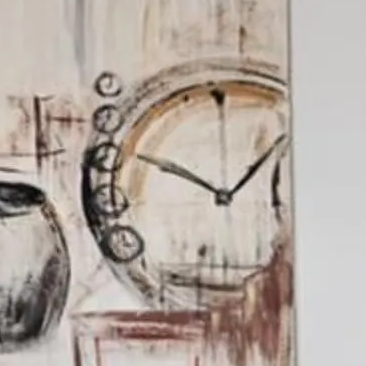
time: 1:49
